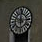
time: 5:59
